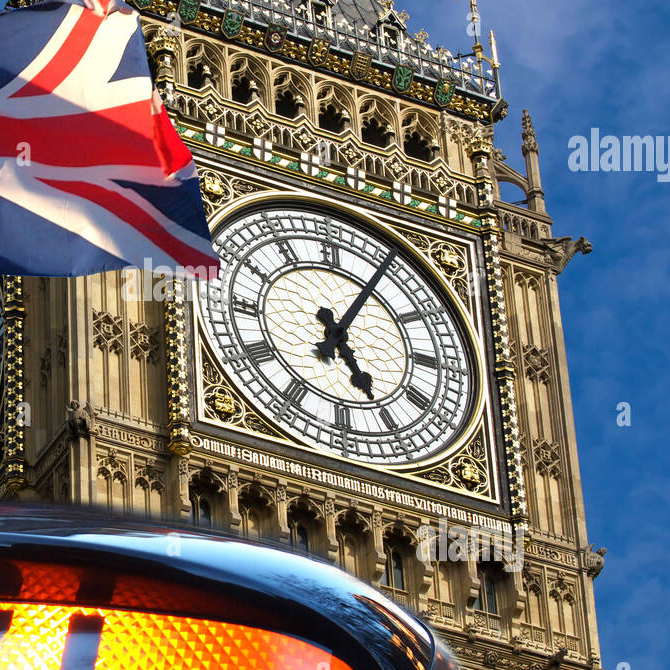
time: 5:05
